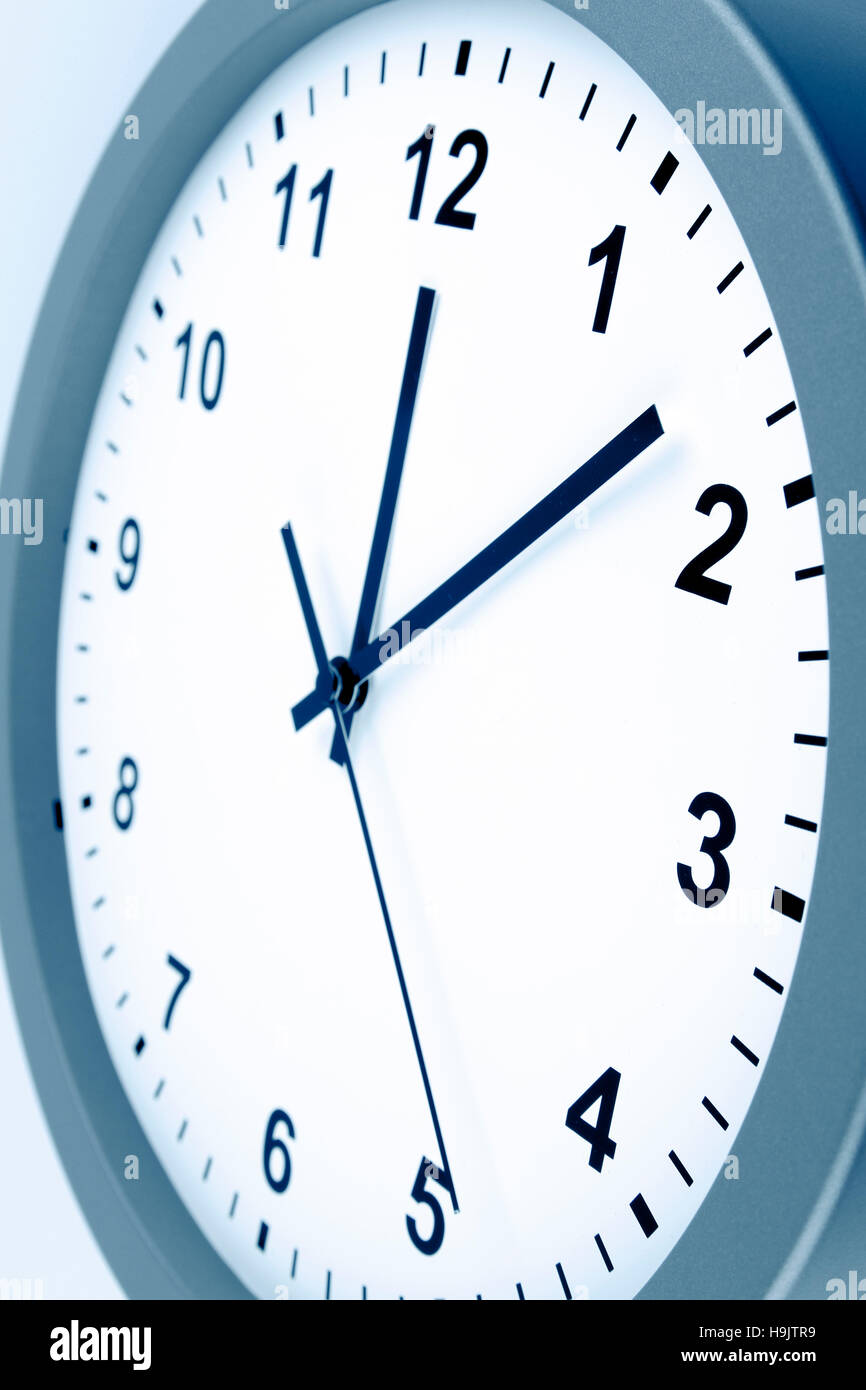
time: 12:07
